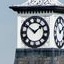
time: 1:51
